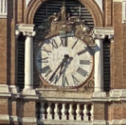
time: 6:36
